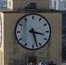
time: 3:27
